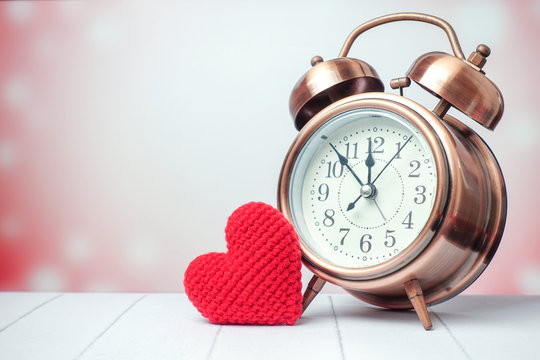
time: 11:52
